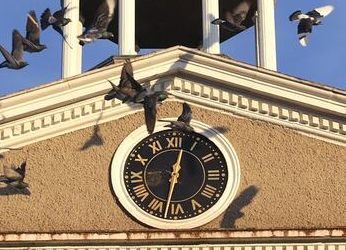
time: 12:32
